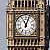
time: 11:03
